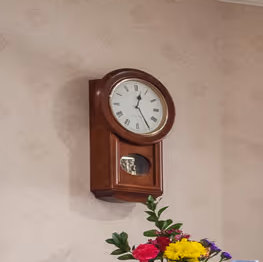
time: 12:24
